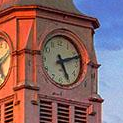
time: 5:12
